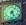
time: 5:06
